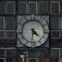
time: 4:31
